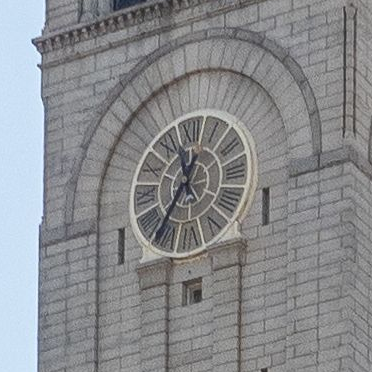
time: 12:36
